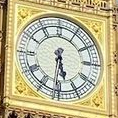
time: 5:31
